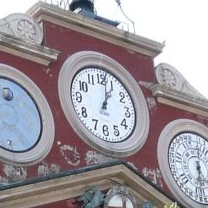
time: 1:01
